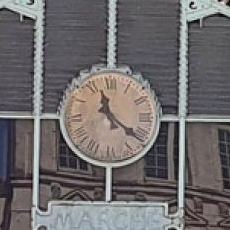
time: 11:21
